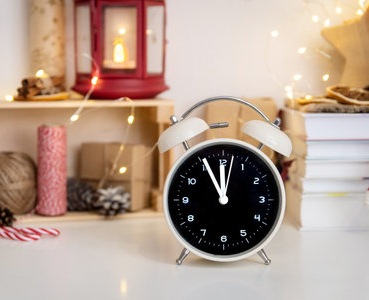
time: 11:55
